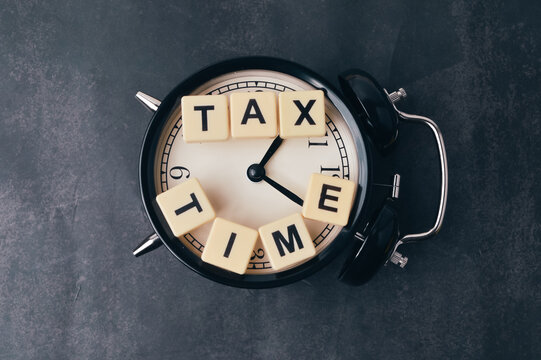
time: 1:20
